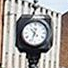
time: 10:33
